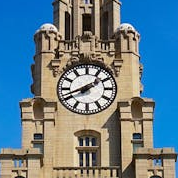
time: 1:41
